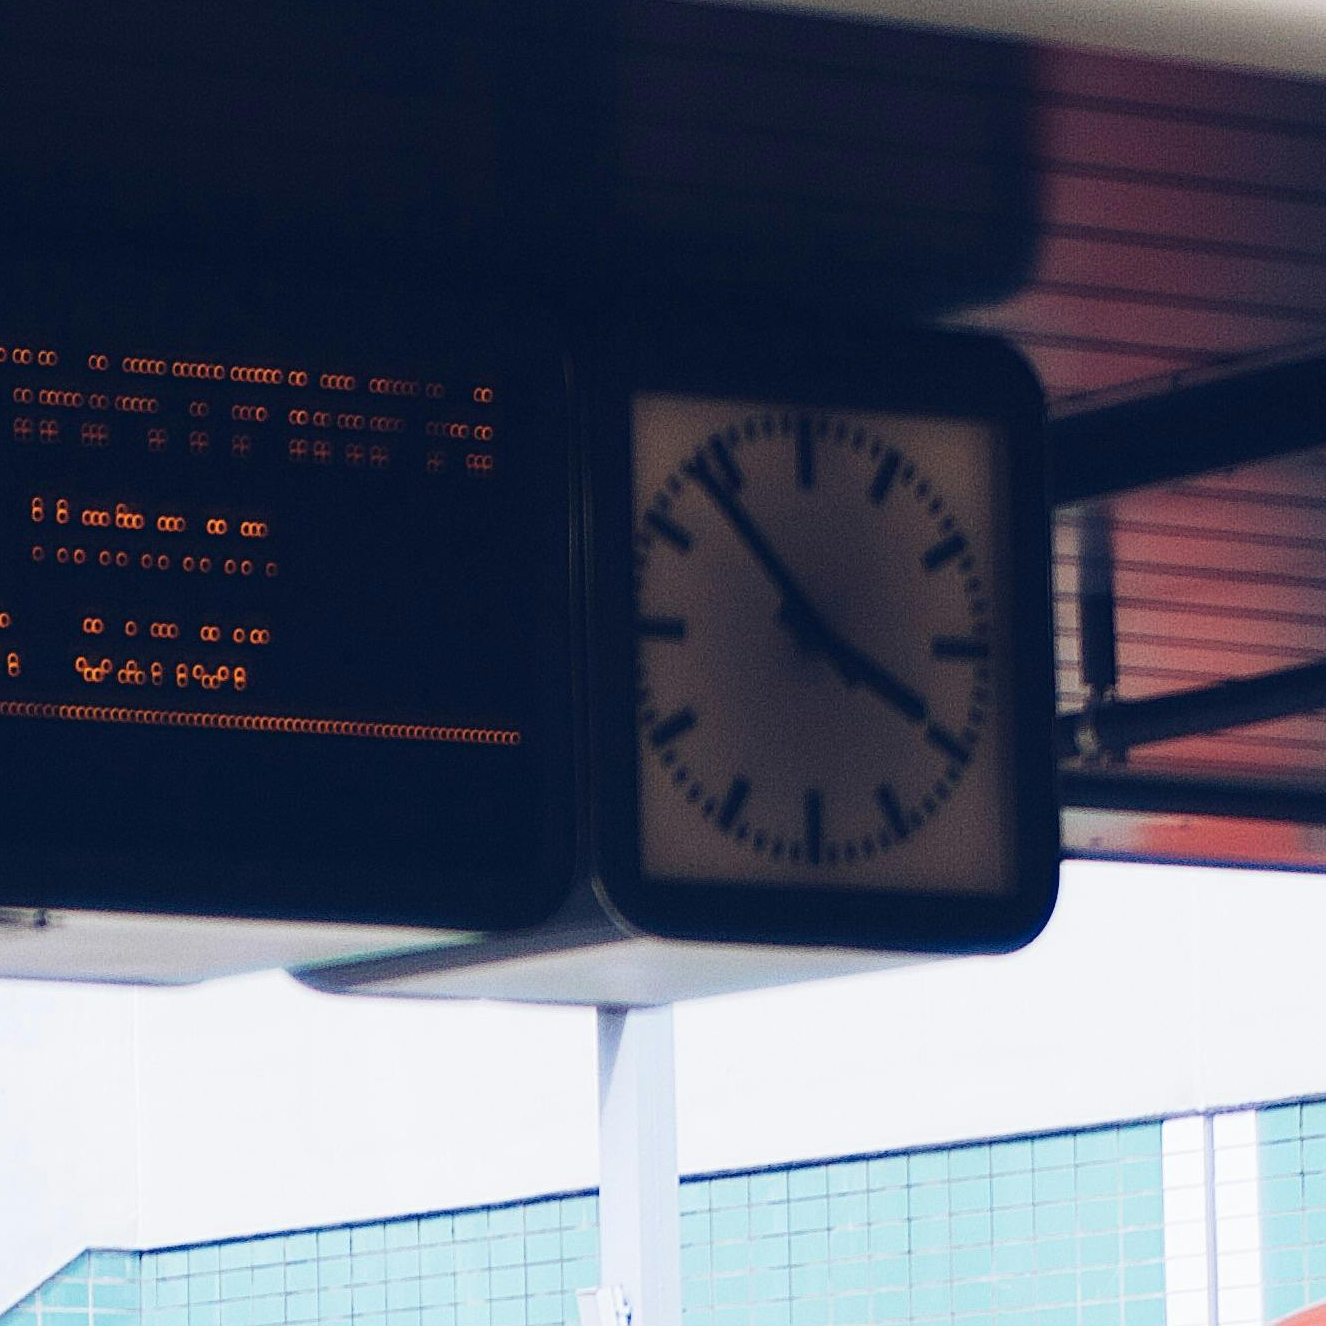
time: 3:52
